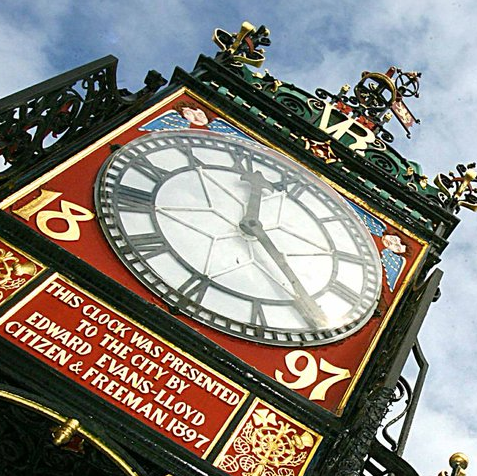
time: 12:24
